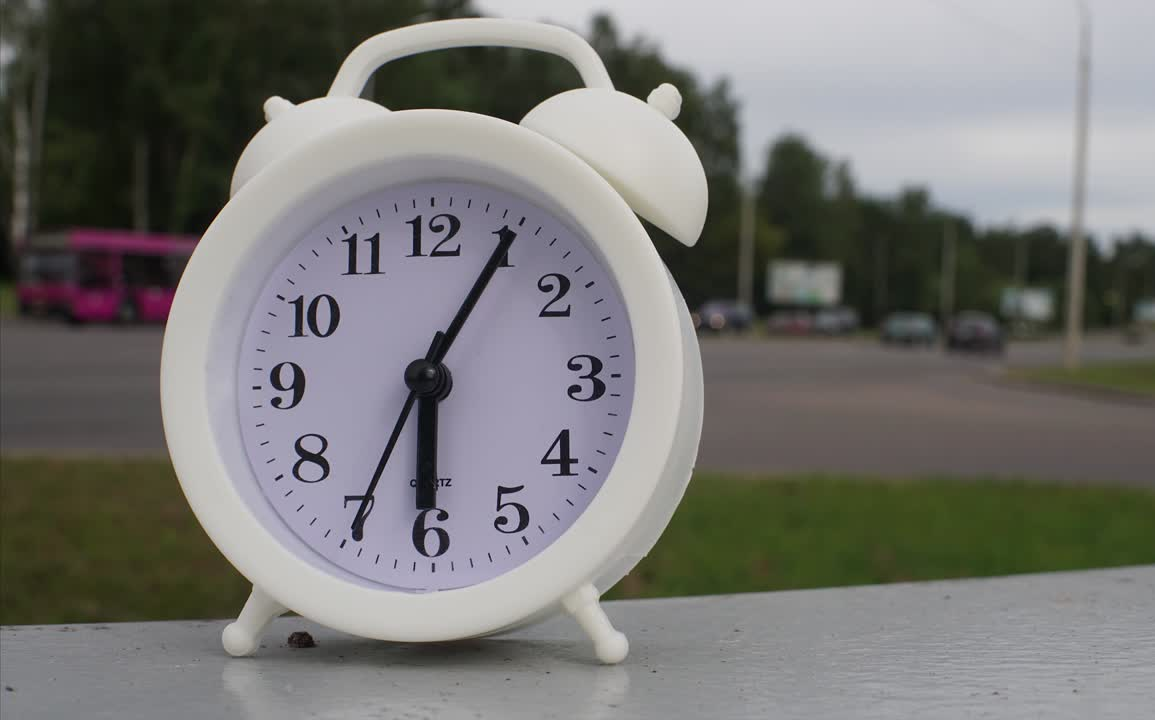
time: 6:05
